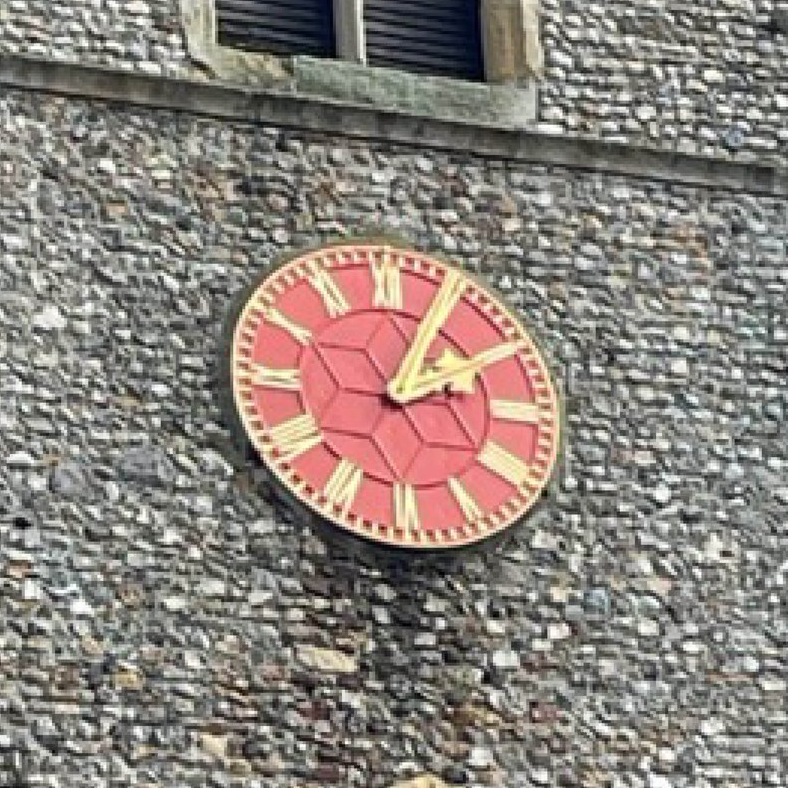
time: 2:04
